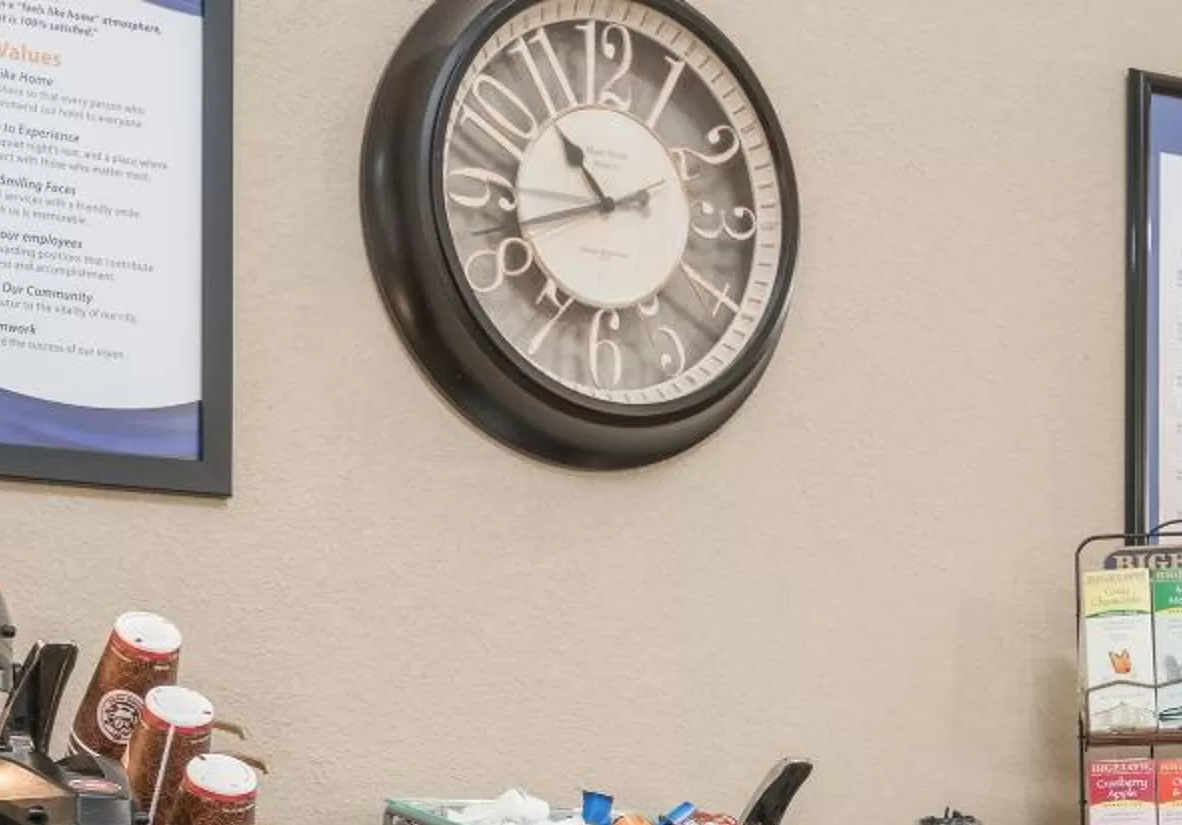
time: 10:42
